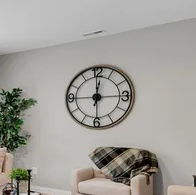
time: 12:14
